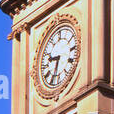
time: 9:33
